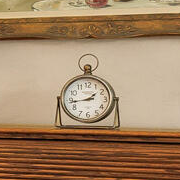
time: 1:43
